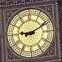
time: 9:10
